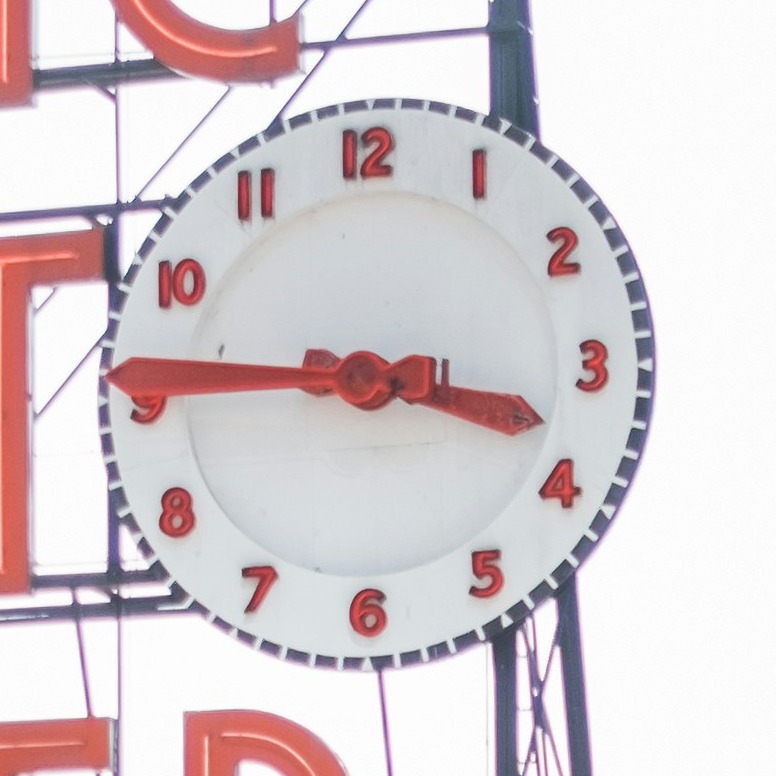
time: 3:45
